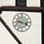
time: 9:17
